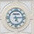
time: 5:14
